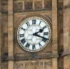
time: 2:18
